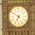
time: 6:50
